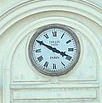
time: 3:49
